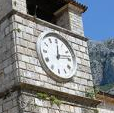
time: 12:12
